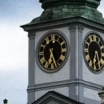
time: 6:25
